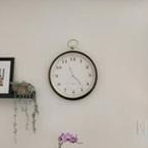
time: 11:23
